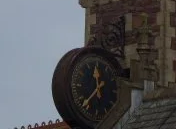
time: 11:37
